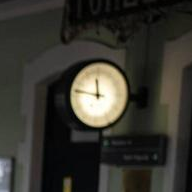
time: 11:46
